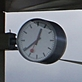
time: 12:34
